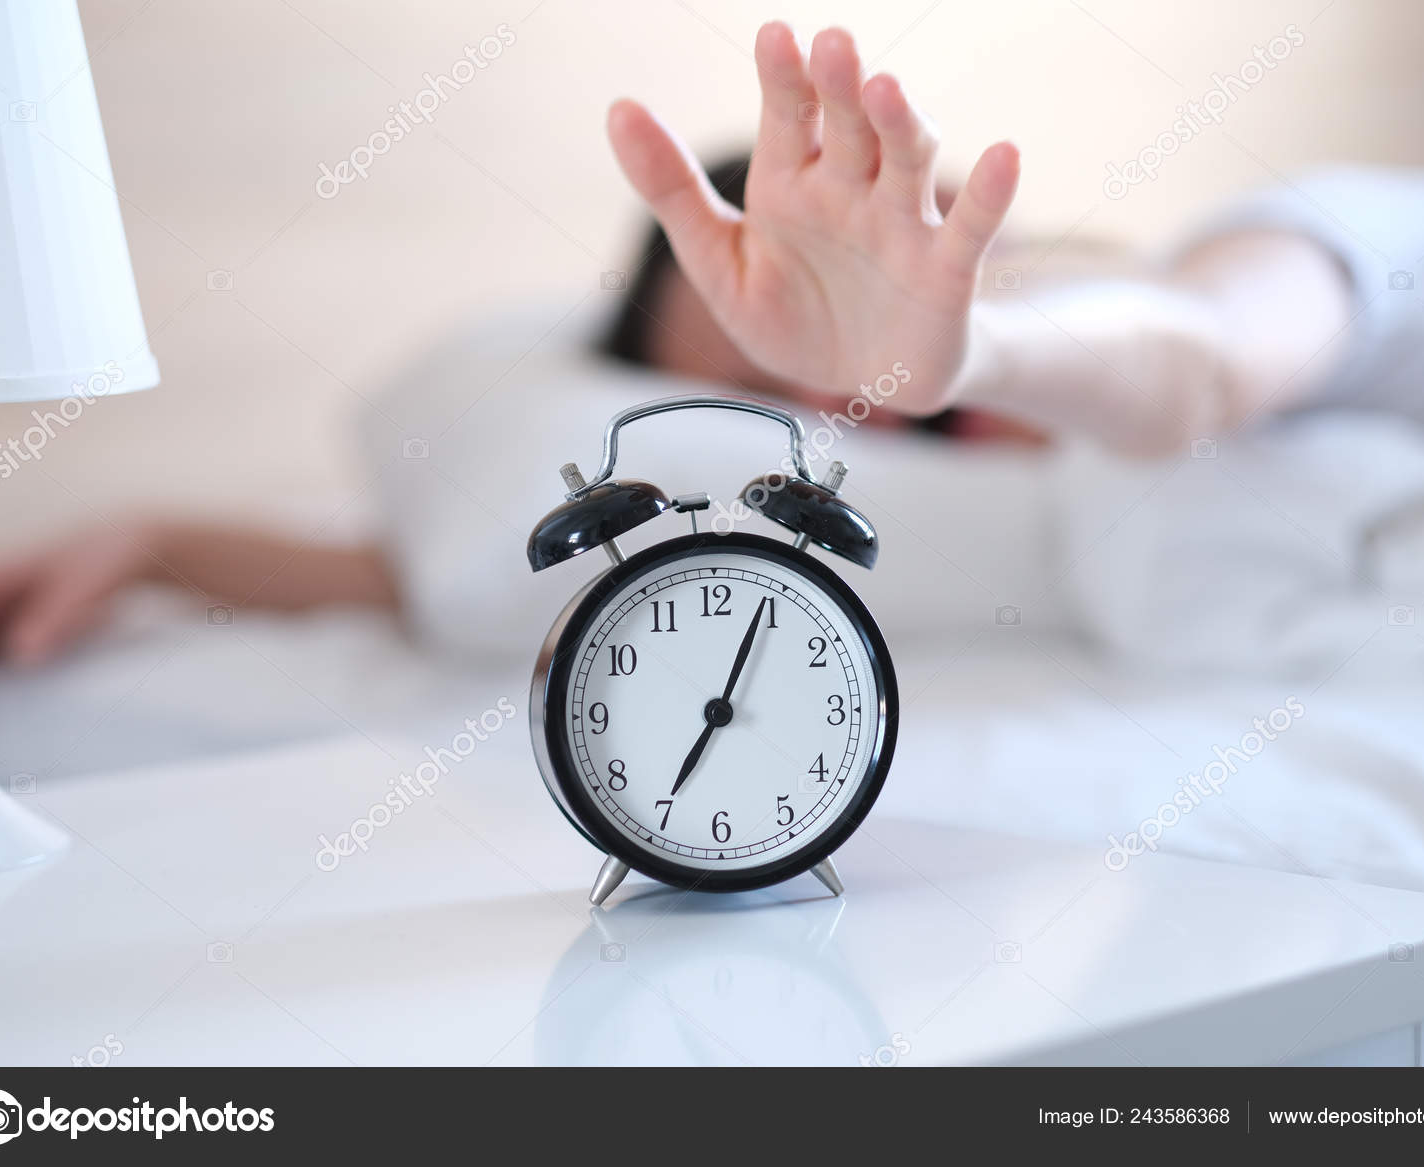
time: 7:04
